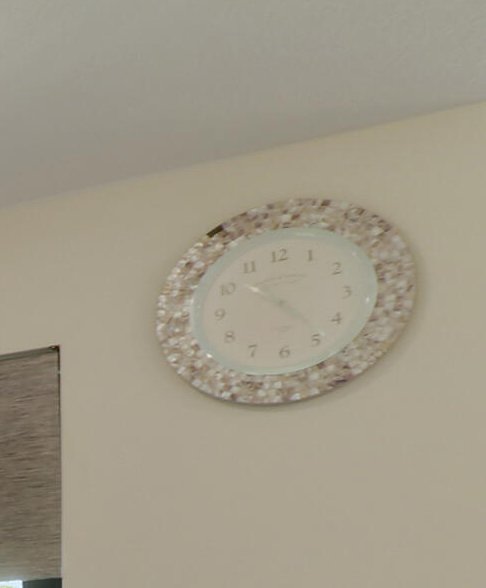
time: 10:23
